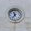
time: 11:36
